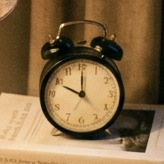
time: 10:00
